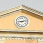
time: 9:12
